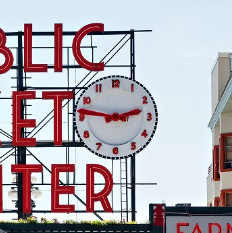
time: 2:46
